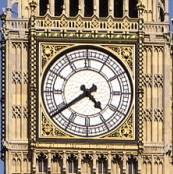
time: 4:39
